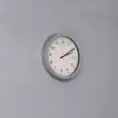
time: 2:09
